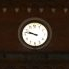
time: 9:47
